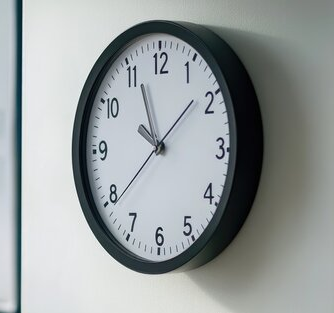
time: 9:56
